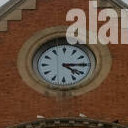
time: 4:14
